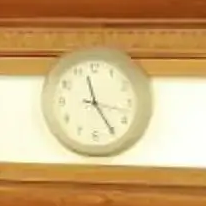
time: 11:24
